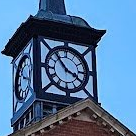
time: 3:53
